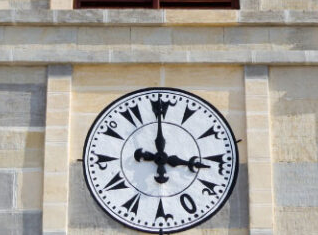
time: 2:59
